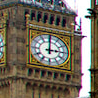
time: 3:00
